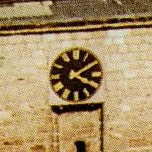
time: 4:09
